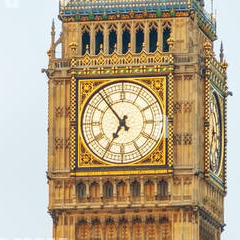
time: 6:53
